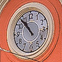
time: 10:53
